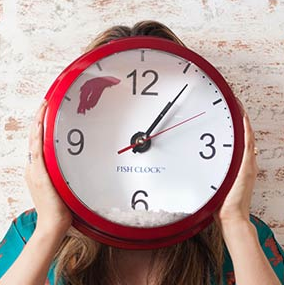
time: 1:06
